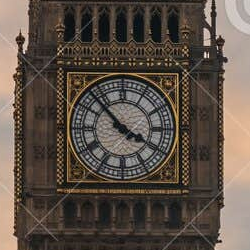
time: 3:52
